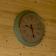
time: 9:27
